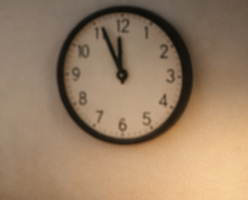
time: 11:55
